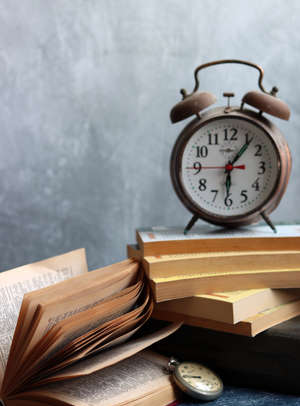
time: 6:06
